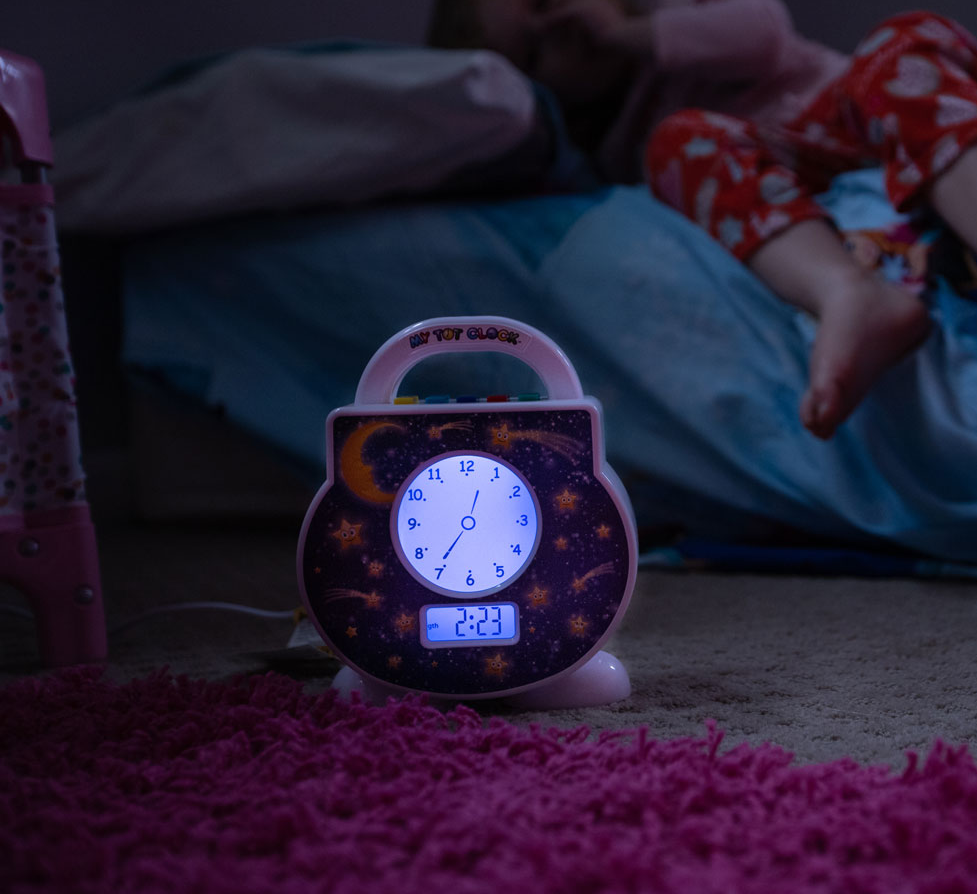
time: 12:34
